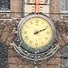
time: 2:11
